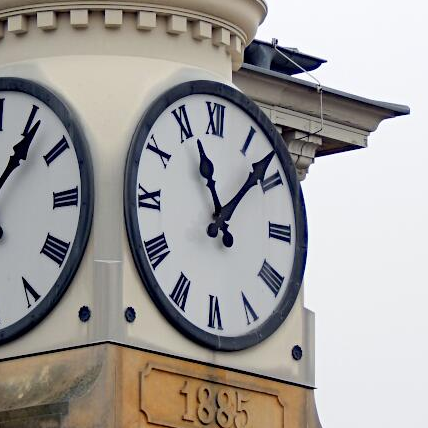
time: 11:07
